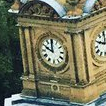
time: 9:59
